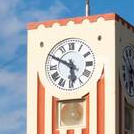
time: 5:49
